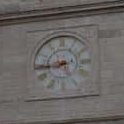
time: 8:44
